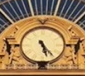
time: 5:23
